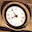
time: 7:53
